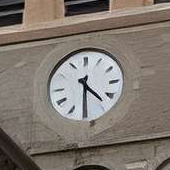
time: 4:30
